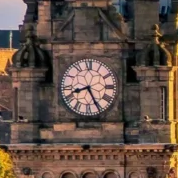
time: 8:25
